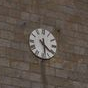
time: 4:28
